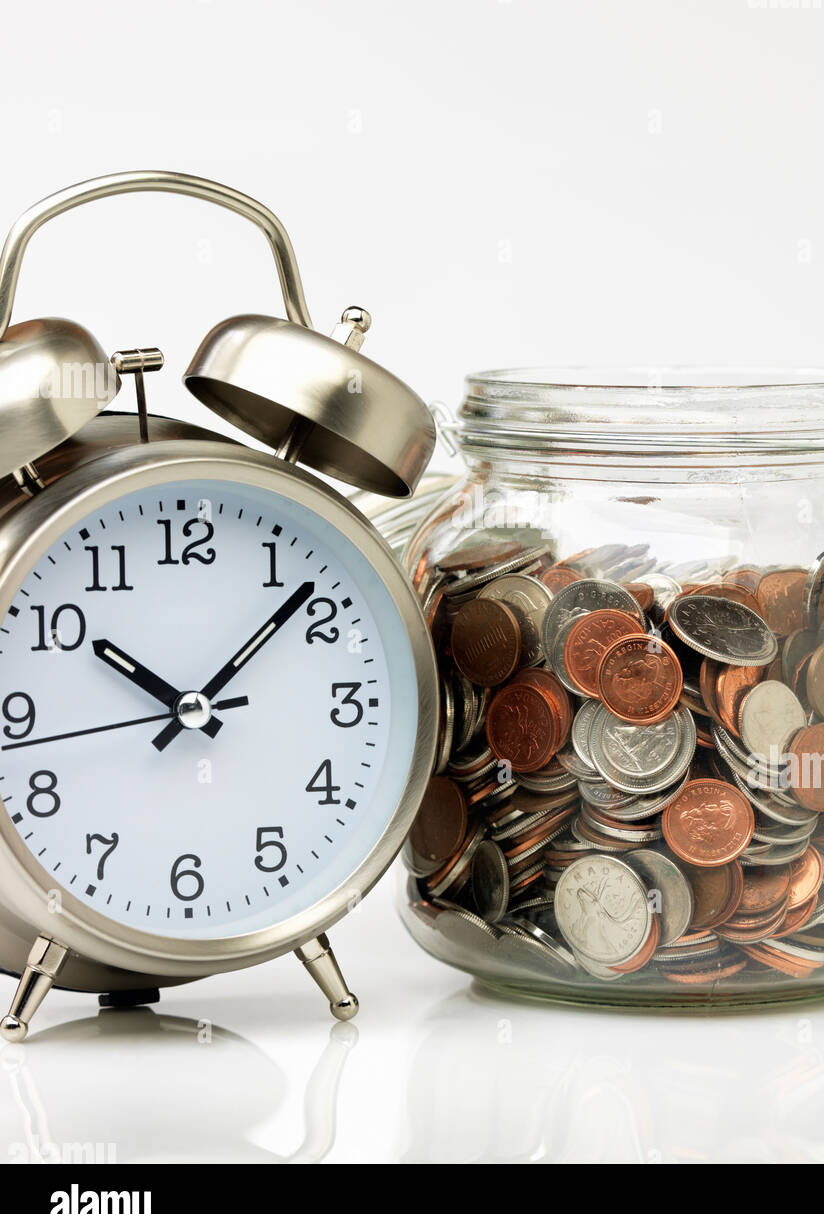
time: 10:07
